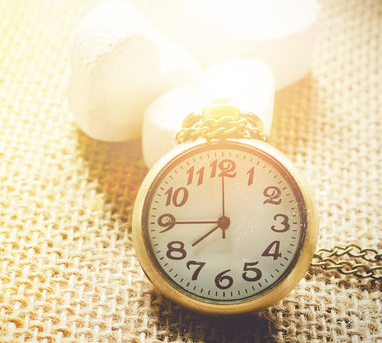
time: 7:44
